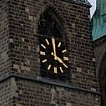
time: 4:00
